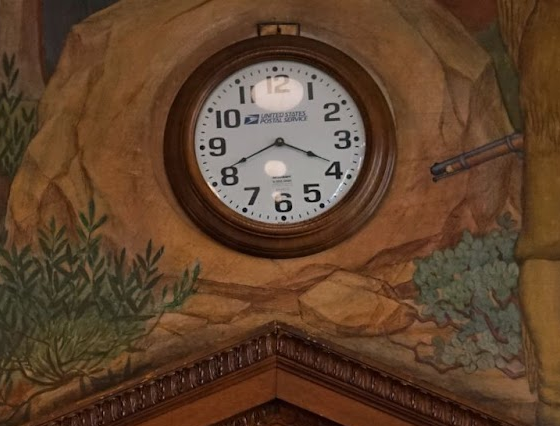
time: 3:40
